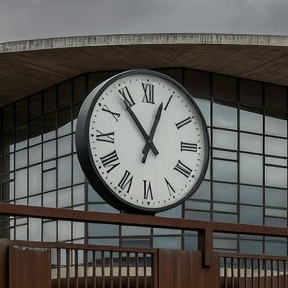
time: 12:53
